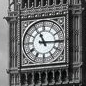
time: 11:15
